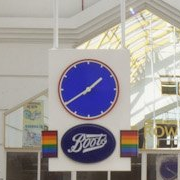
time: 1:39
